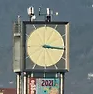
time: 3:16
